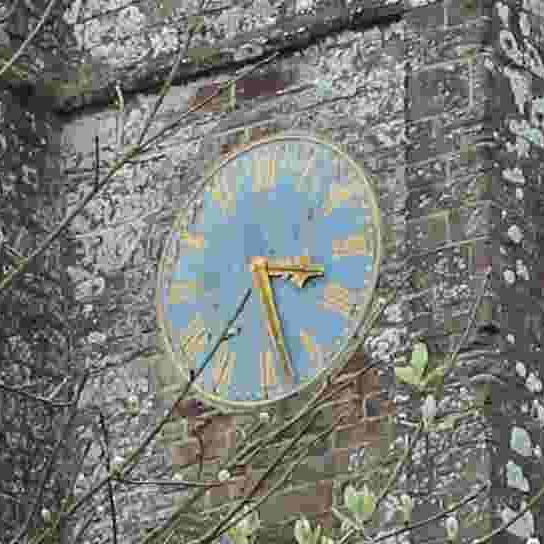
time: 3:27
